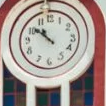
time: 10:51
